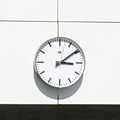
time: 3:09
